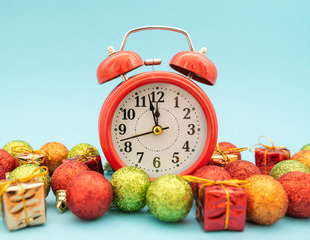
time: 11:57
